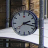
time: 2:17
